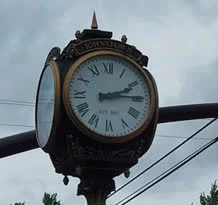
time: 2:14
